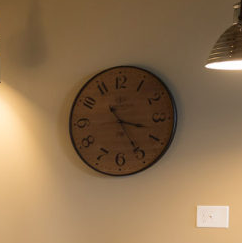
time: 3:24
